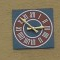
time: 2:52
